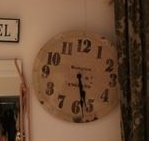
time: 5:28
